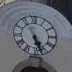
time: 5:26
